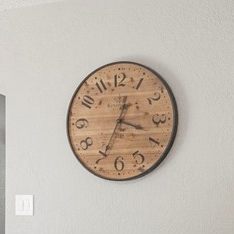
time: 3:34
